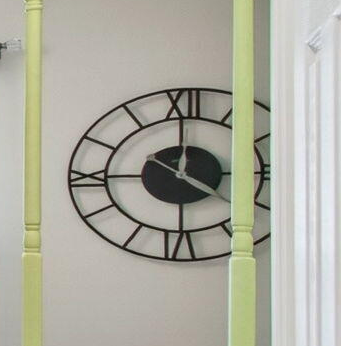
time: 4:00
